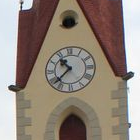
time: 10:37
